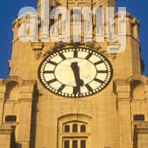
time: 5:29
